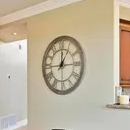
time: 1:00
